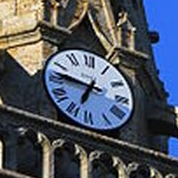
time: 6:46
